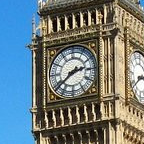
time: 2:38
